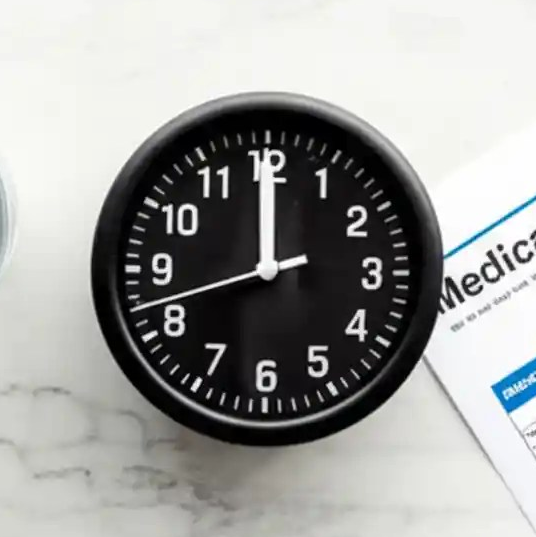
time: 11:59
